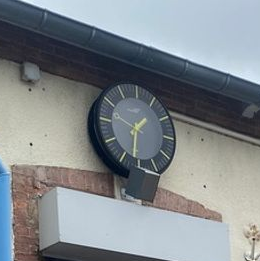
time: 1:31
